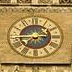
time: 7:44
